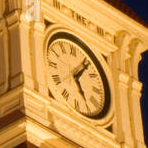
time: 5:06
